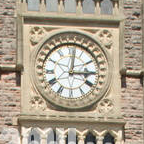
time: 3:01
